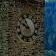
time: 9:54
